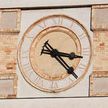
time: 3:22
